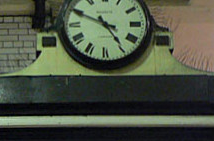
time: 4:49
